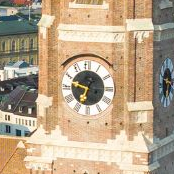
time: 6:47
